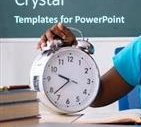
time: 9:38
